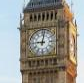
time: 9:01
